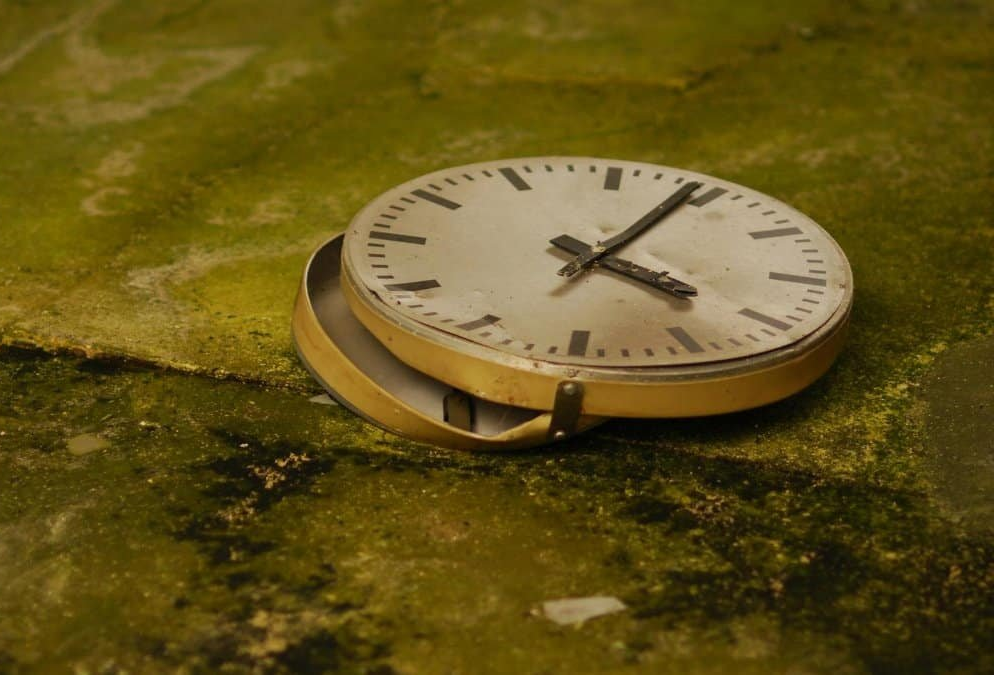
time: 4:04
